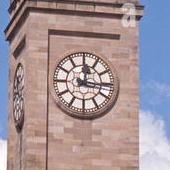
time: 12:15
